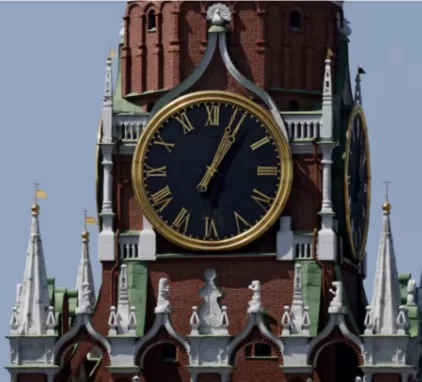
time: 1:03
